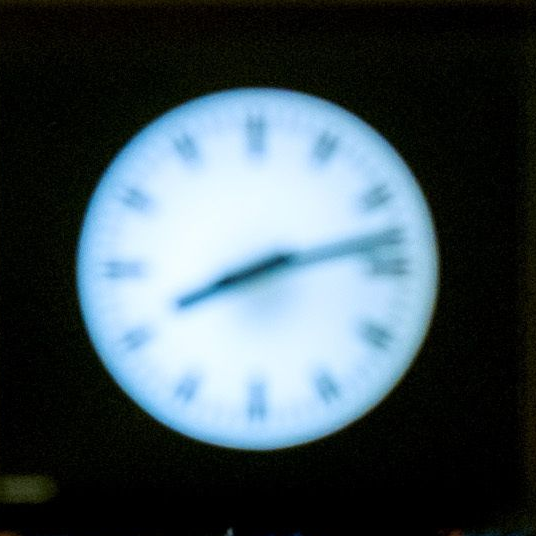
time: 8:12
